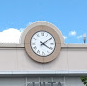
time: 4:09
